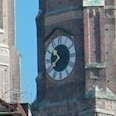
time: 10:39
